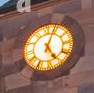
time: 5:03
